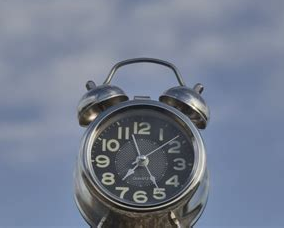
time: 7:25
